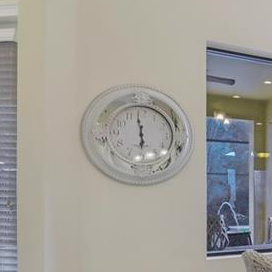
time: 5:59
